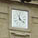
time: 11:21
